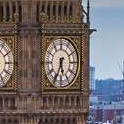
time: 5:34
